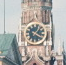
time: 1:20
